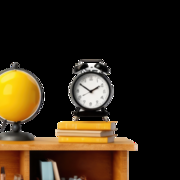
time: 1:50
